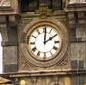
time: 2:01
